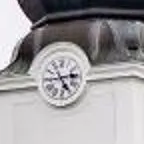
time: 5:14
